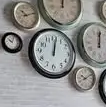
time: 12:01
